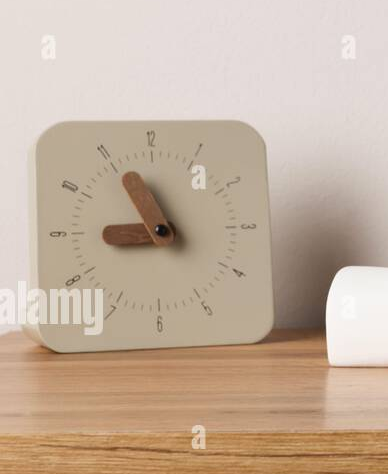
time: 8:55
